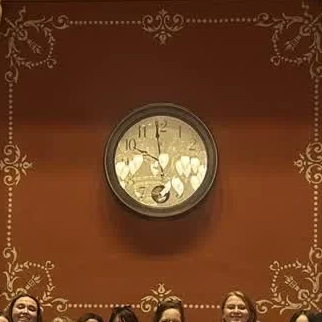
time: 9:58
